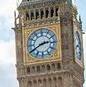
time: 2:40
